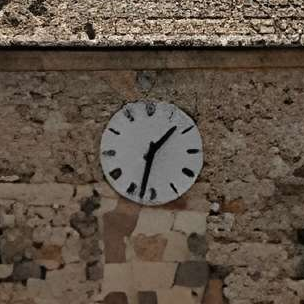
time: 1:32
